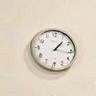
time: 1:16
